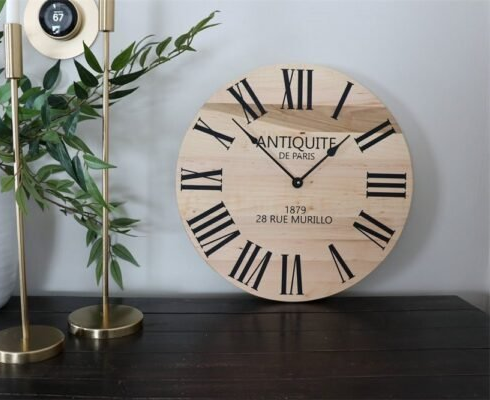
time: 1:52
